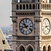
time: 10:42
